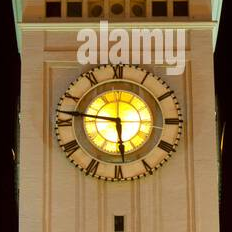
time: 5:46
